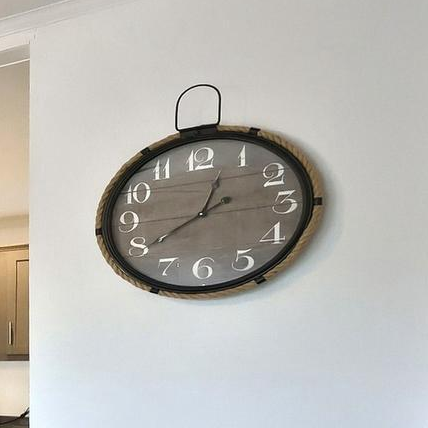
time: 12:39
